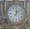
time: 12:07
